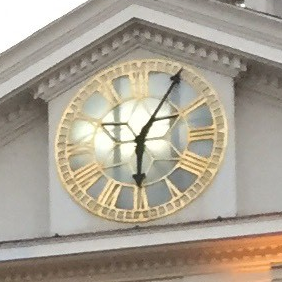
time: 6:05
